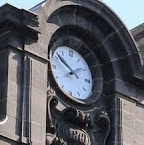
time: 1:50
